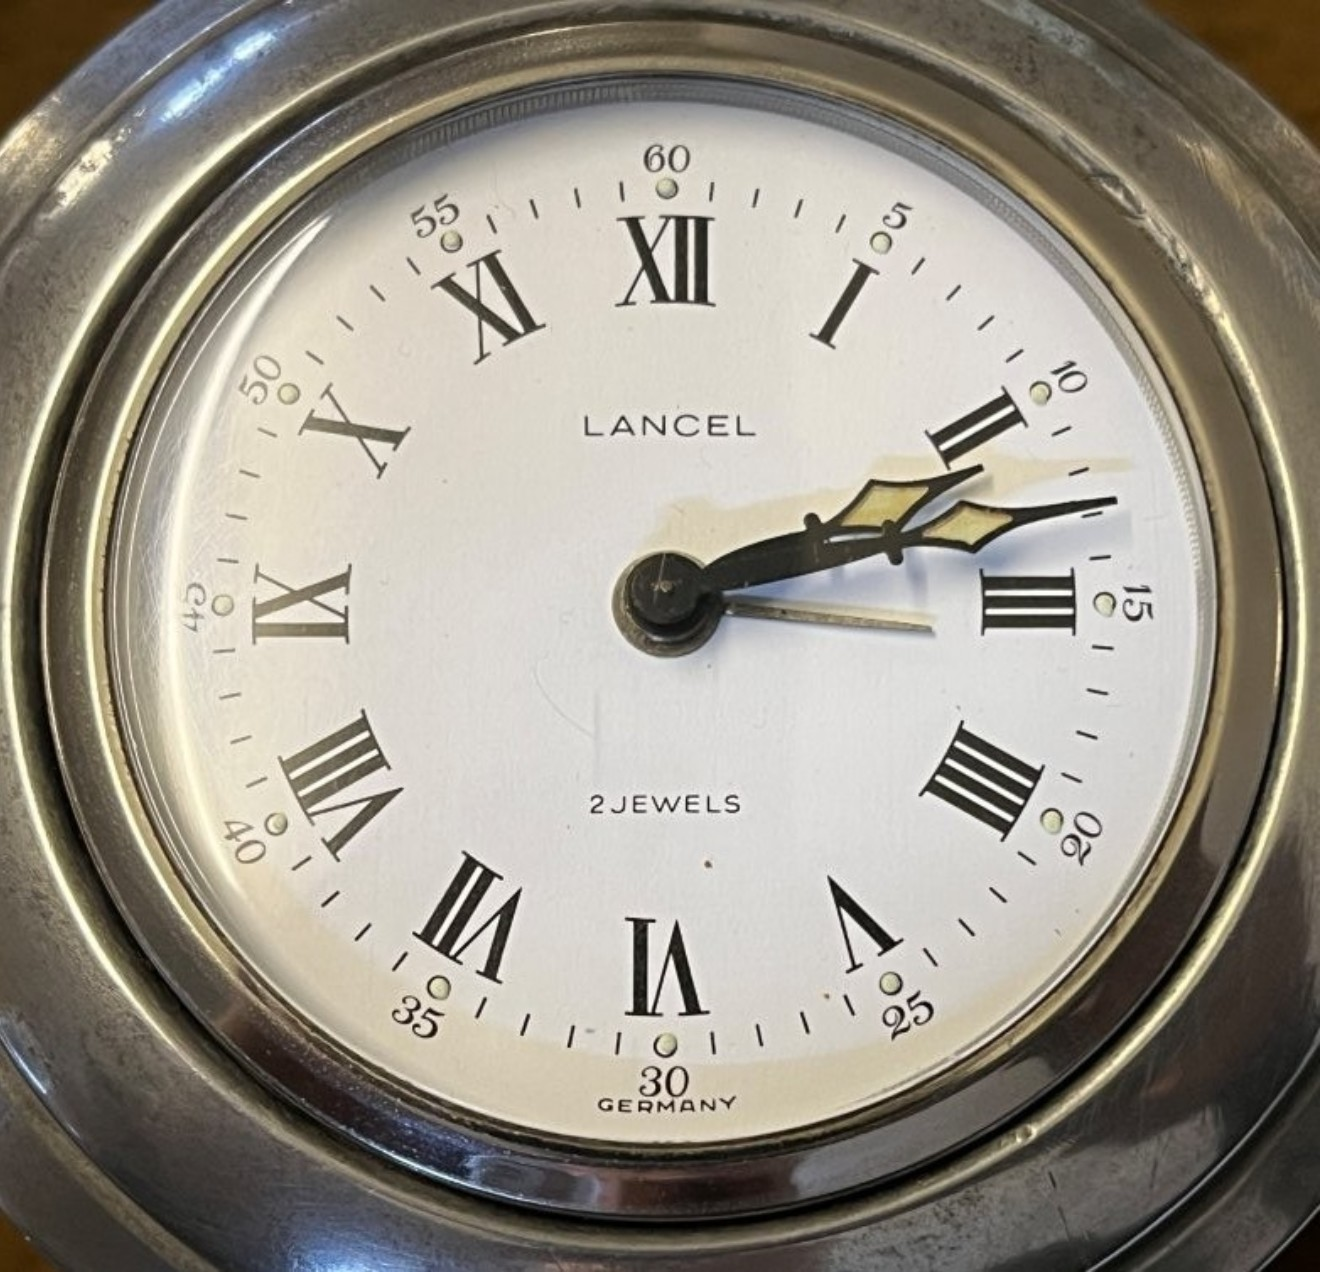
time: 2:12
